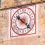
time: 10:22
